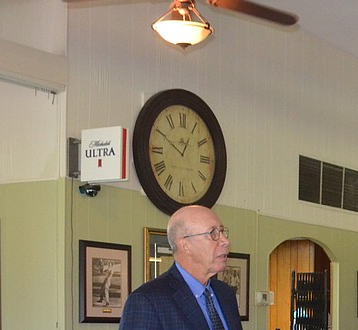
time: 12:50
